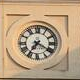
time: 7:20
